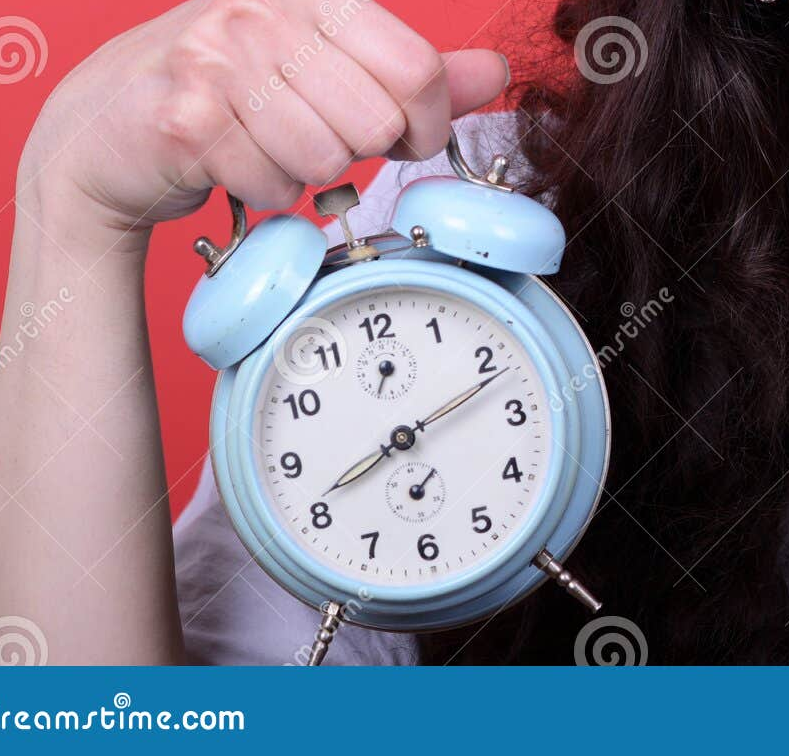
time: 8:11
